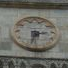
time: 2:33
